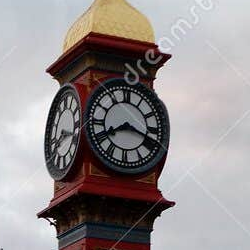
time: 8:18
